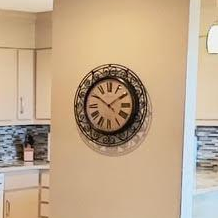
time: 1:50
